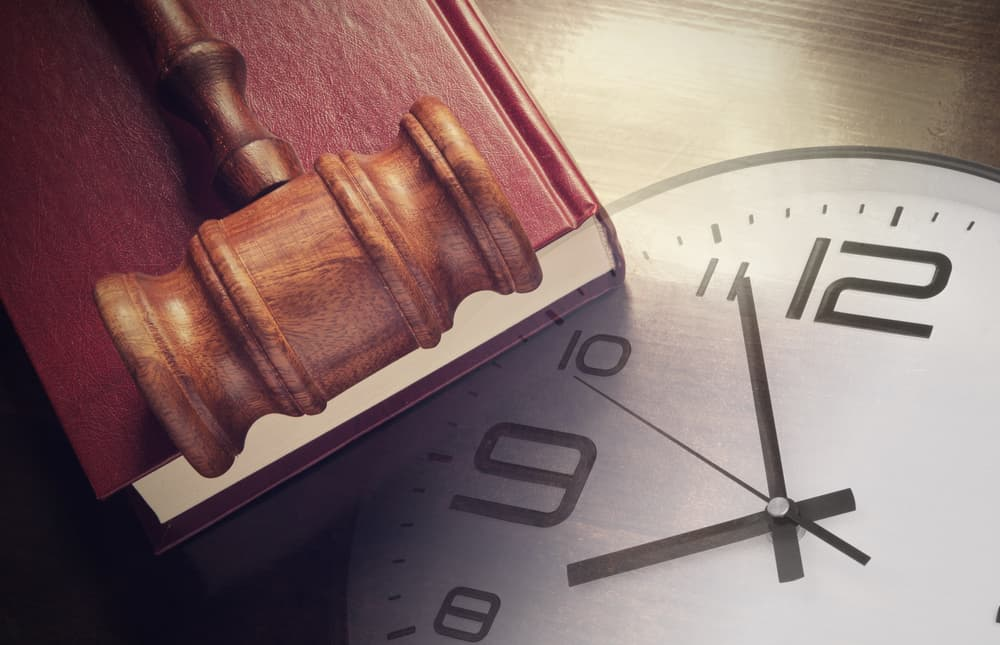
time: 7:55
